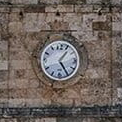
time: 1:25
